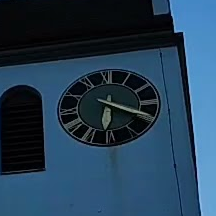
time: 6:19
